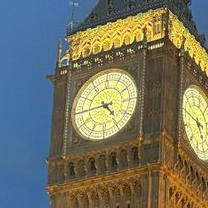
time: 4:44
